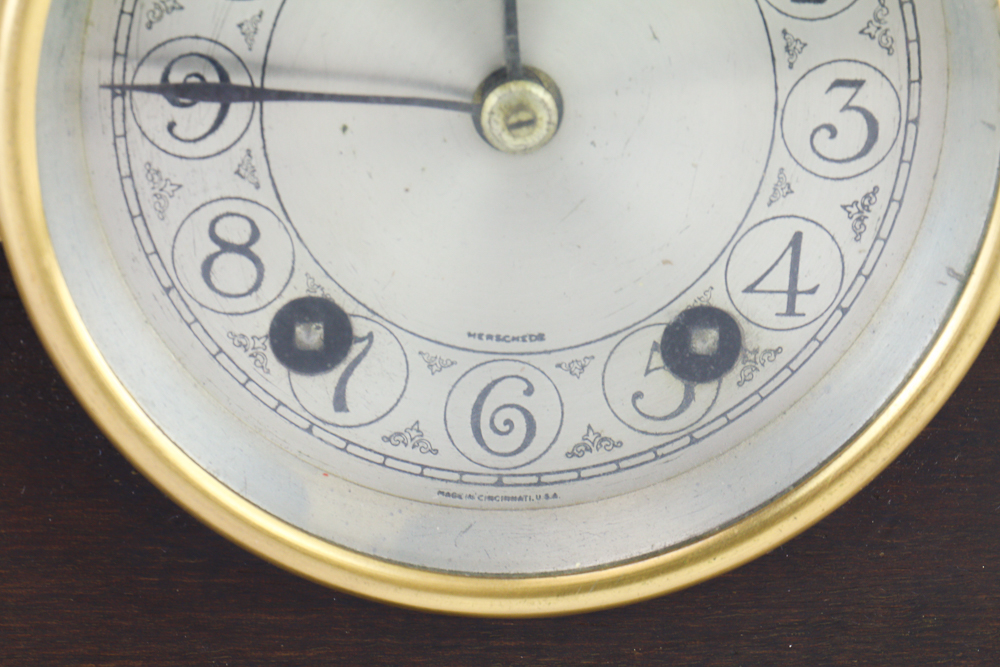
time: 11:45
